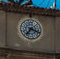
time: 7:18
